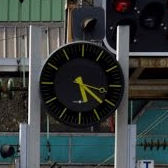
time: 5:21
